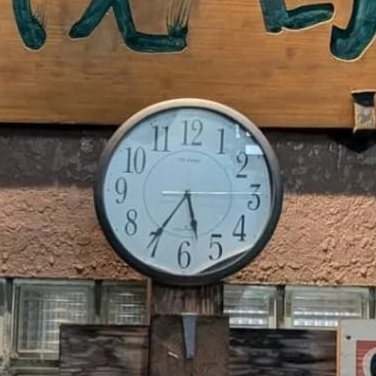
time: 5:35
